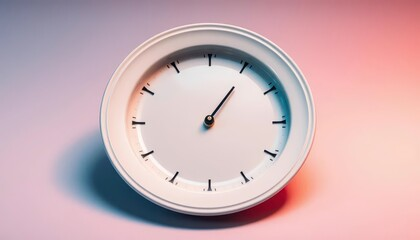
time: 1:05
